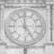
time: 4:59
